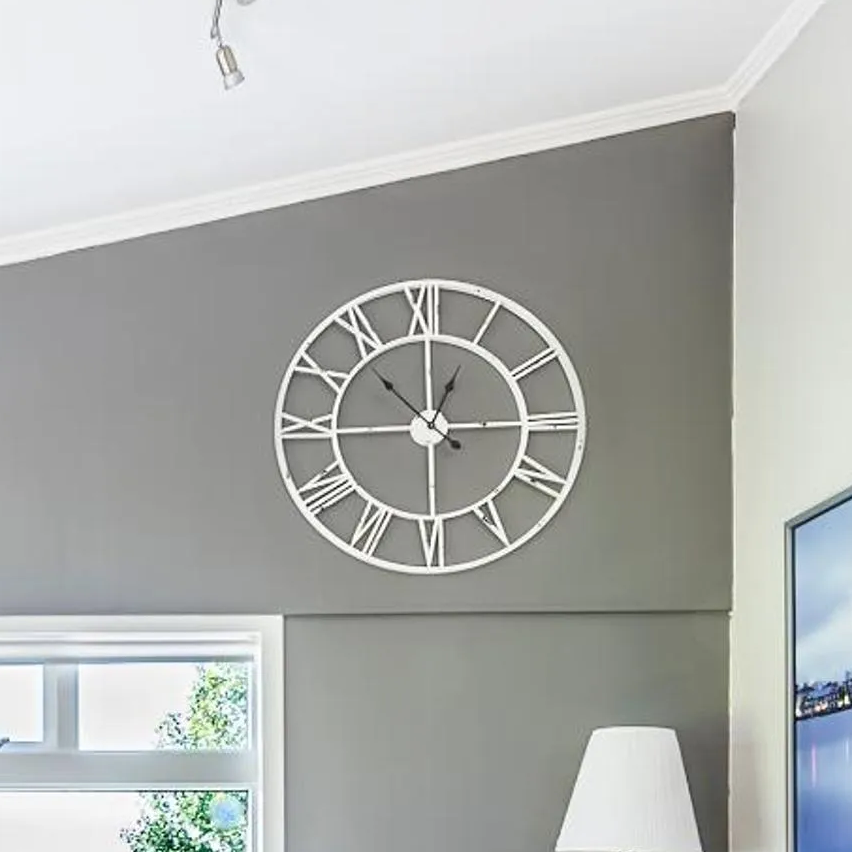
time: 1:00
